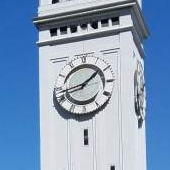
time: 1:43
